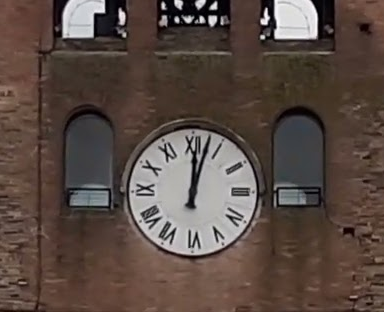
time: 12:02
